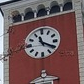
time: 11:19
